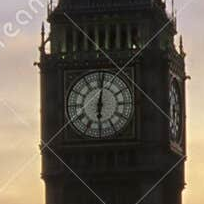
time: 6:01
